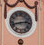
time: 2:42
